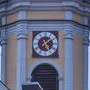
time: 5:08
